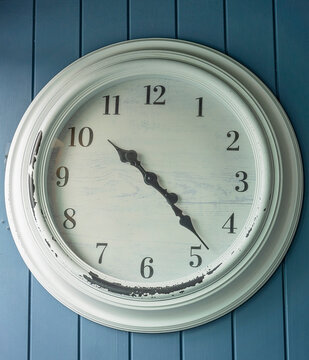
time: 10:23
